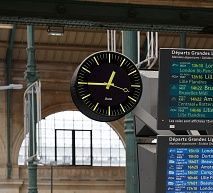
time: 12:45
